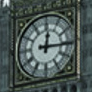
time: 12:15
